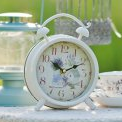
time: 10:11
